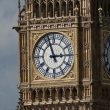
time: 2:56
